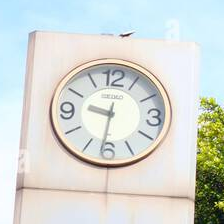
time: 9:31
